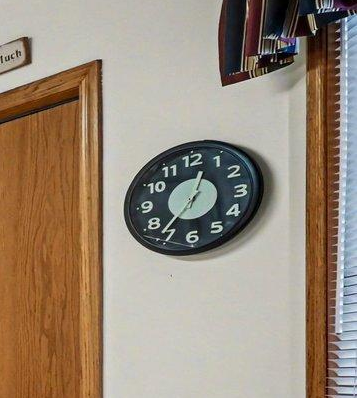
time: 12:36
